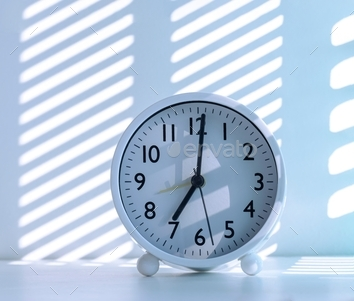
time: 7:01
